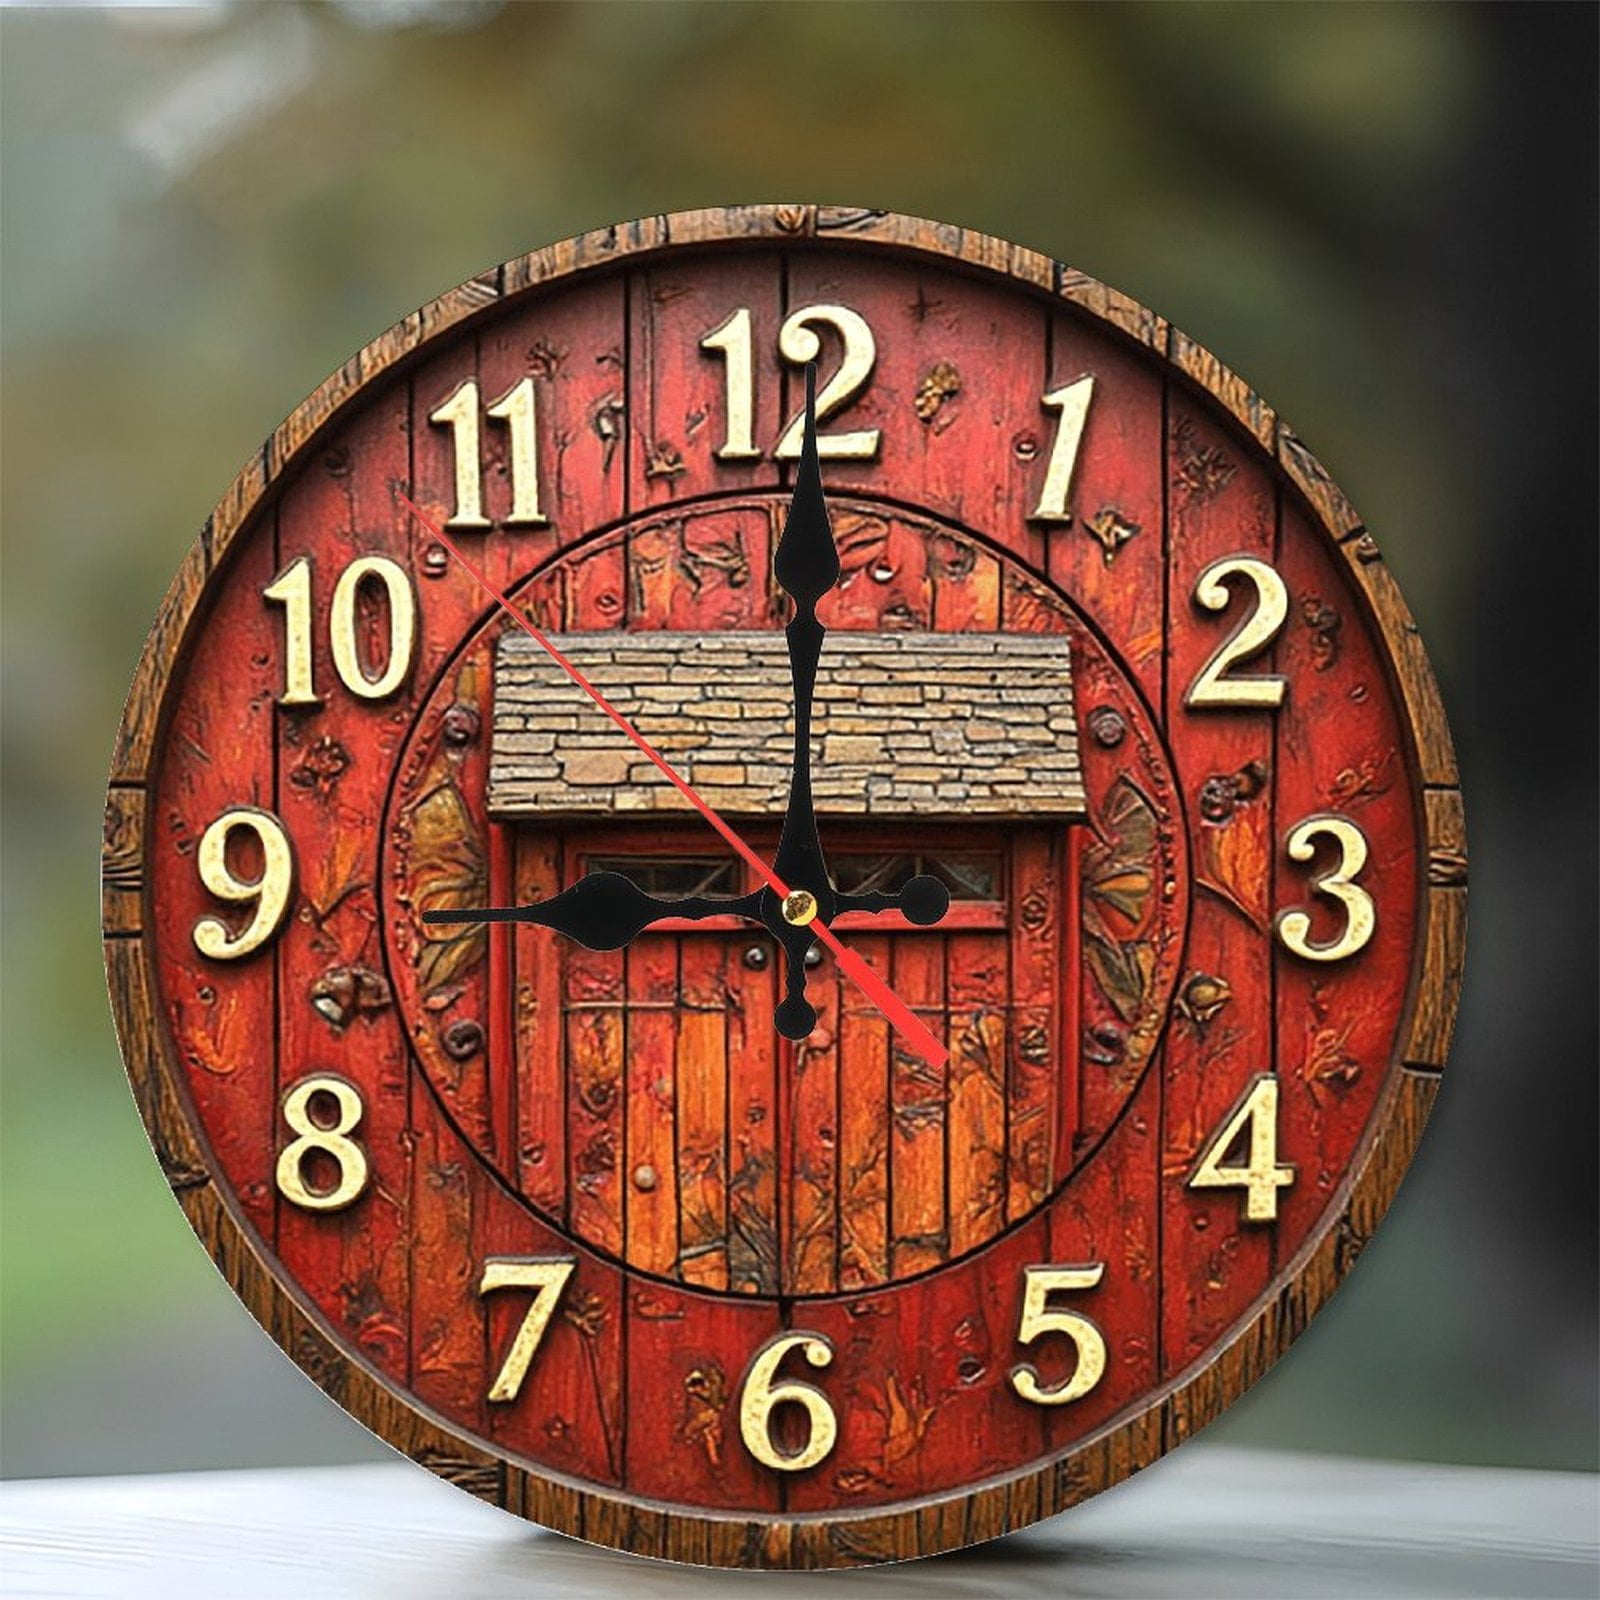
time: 9:00
